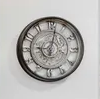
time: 9:02
